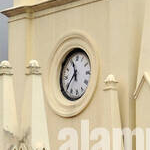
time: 11:37
